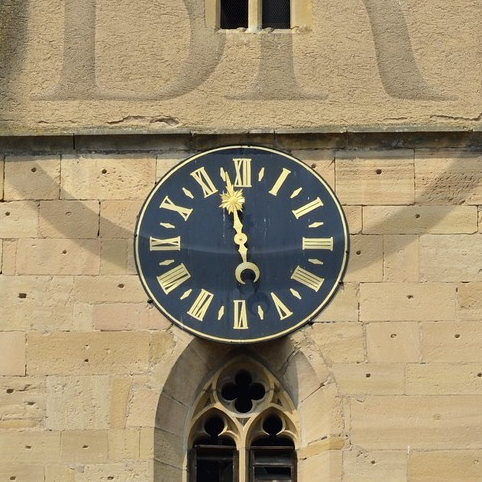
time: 11:57
